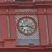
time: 3:43
